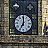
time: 7:00
